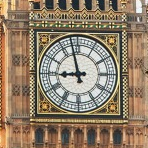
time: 8:57
